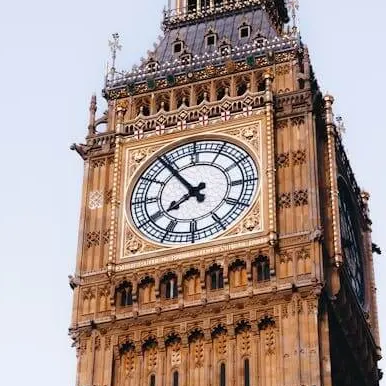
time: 7:53
